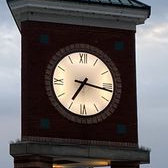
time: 7:16
